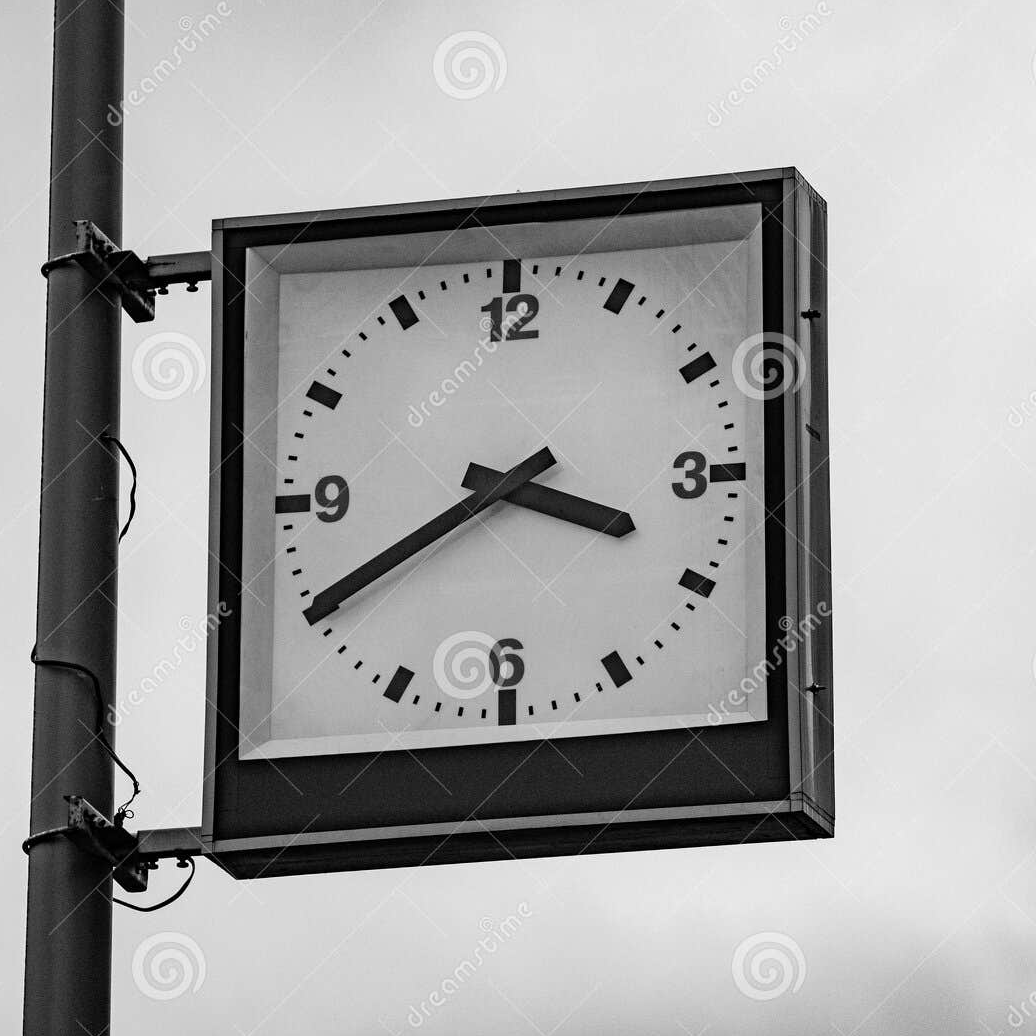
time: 3:40
